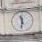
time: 11:31
